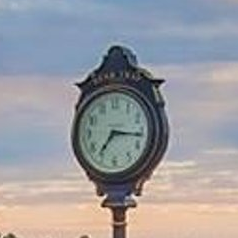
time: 7:16
